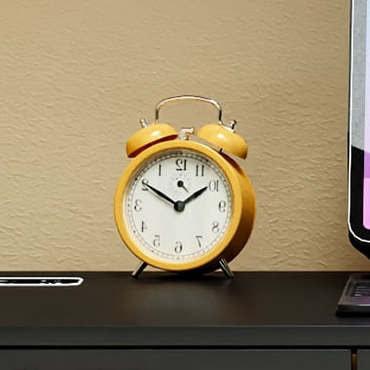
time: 1:50
